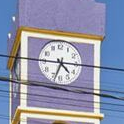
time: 4:33
